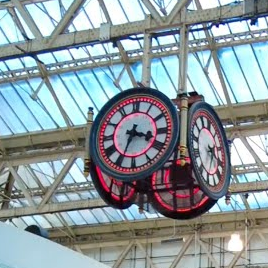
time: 3:34
